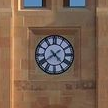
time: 4:39
